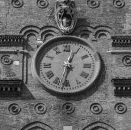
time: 12:32
